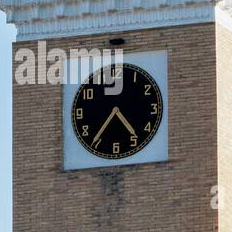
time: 4:36
